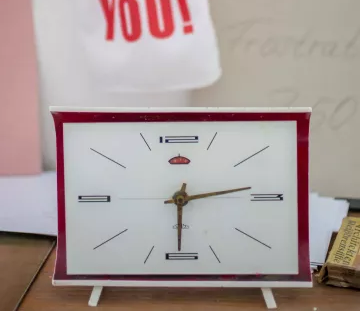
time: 6:13
